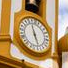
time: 5:59
